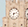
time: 2:32
